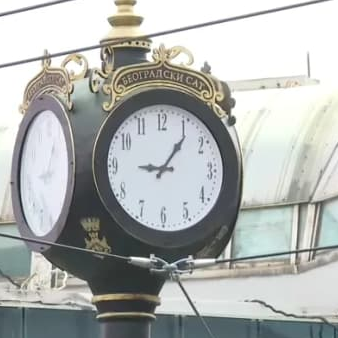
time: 9:06
